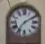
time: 7:09
